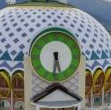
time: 5:31
